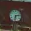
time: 6:13
